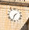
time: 1:33
